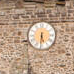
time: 5:30
